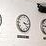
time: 3:22
